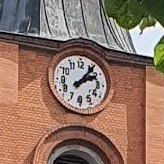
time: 2:06
